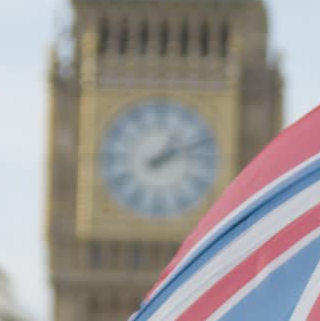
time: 1:11
